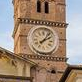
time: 2:06
